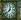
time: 12:38
